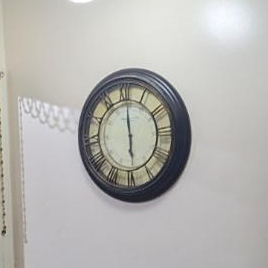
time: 6:00
